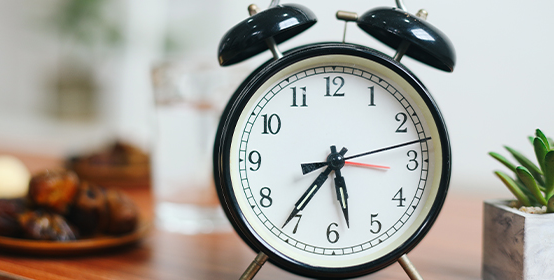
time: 5:36
